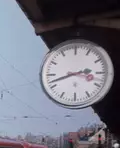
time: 2:42
